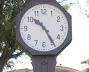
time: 10:24
